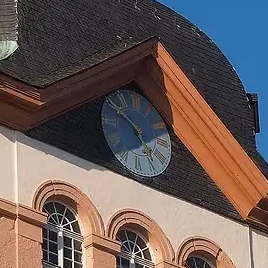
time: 4:50
